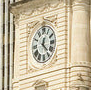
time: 12:23
